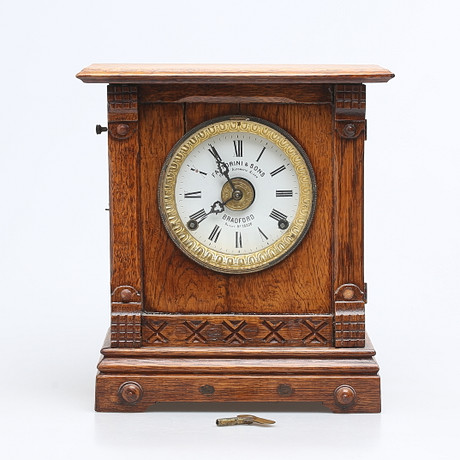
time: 7:55
